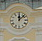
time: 12:07
